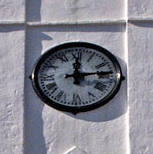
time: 12:13
